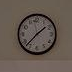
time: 1:37
